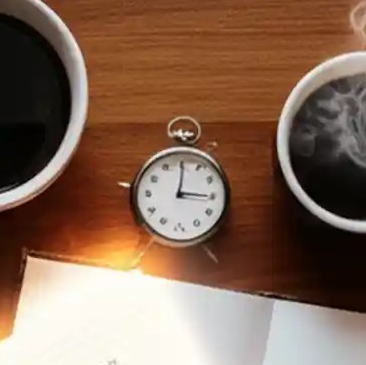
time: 3:00
